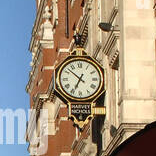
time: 6:52
